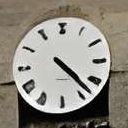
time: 4:22
